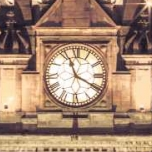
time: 11:19
